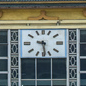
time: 9:28
